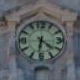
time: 6:21
